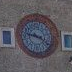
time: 9:20
